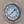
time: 1:38
